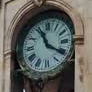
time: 11:20
